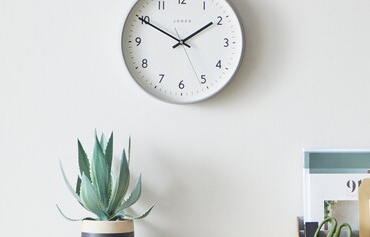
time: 1:49
